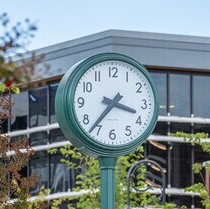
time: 3:36
